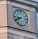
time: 8:40
